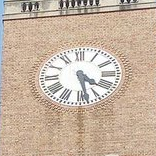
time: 4:28
